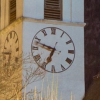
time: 6:47
